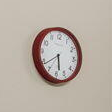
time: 5:38
